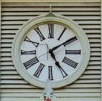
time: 5:09
